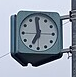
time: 6:58
